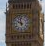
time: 9:57
